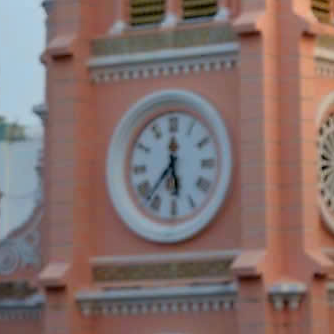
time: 5:37
